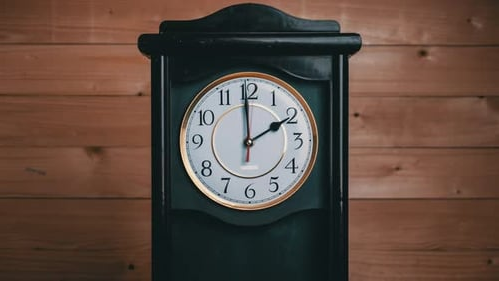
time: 1:59
